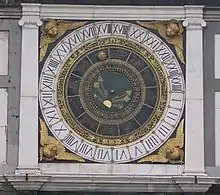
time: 2:56
